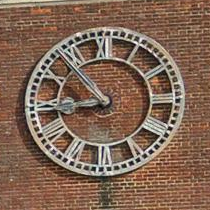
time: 8:53
